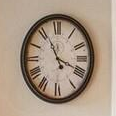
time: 11:18
